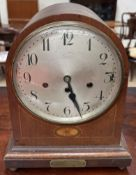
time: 5:26
